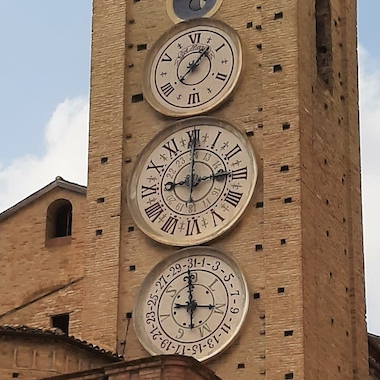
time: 9:00
